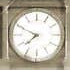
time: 7:49
